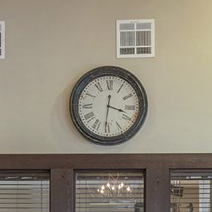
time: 3:30
